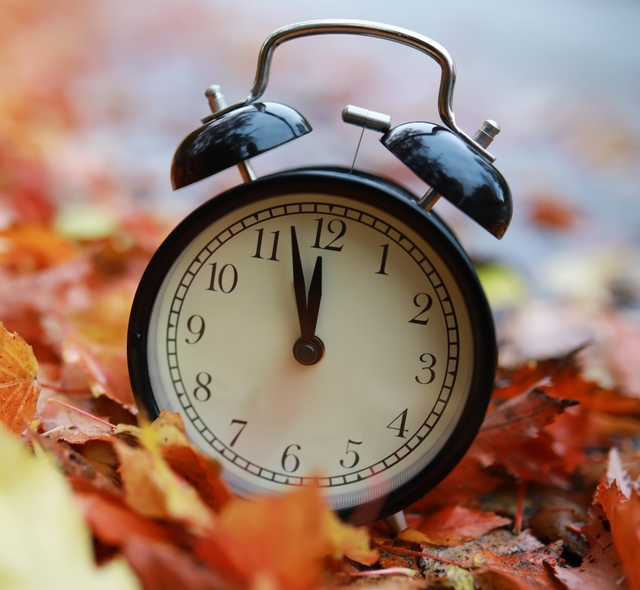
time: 11:57
